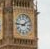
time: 1:46
